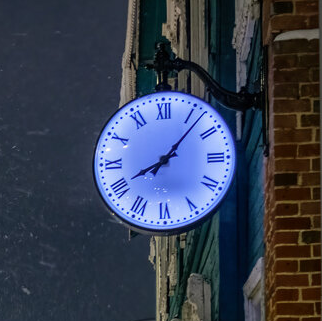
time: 8:07
